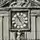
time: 10:53
